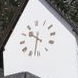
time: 10:32
